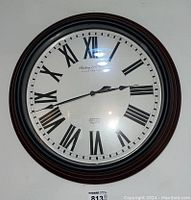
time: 2:42
